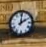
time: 2:01
